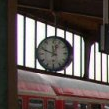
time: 11:48
